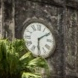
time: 6:09
